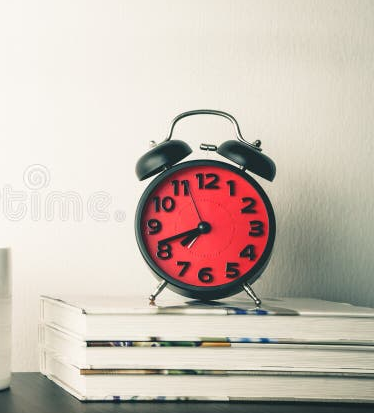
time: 7:41
